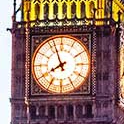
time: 7:56
